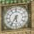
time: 5:36
